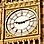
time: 9:12
